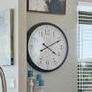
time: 4:10
